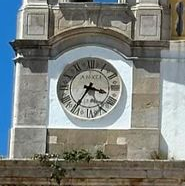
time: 3:35
